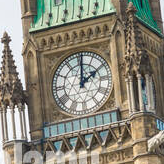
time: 2:01
